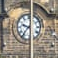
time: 9:36
